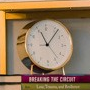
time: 11:06
